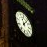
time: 11:07
